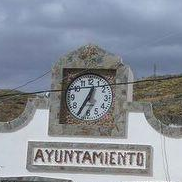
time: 12:34
